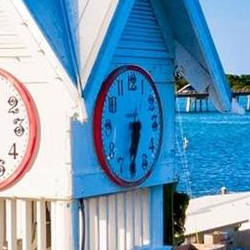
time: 6:32
